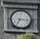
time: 7:15
